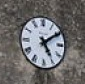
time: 5:09
